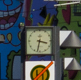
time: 3:32
